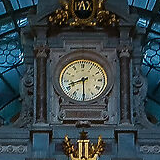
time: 8:29
